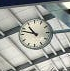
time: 10:47
